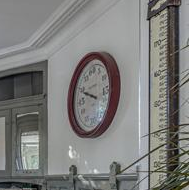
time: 3:48
